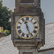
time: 11:26
